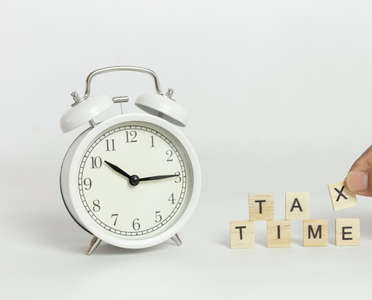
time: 10:14
